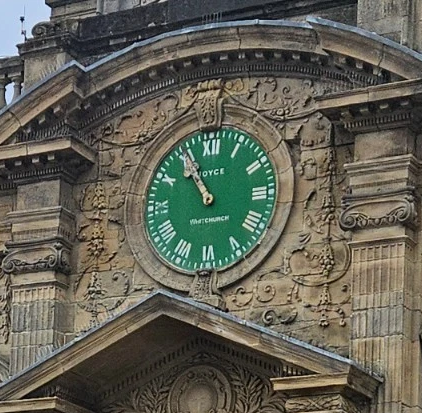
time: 10:55
